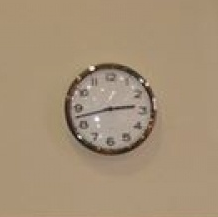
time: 2:42
